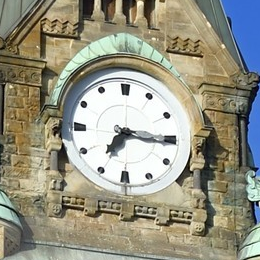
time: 7:15
